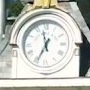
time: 11:34
